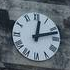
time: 12:12
